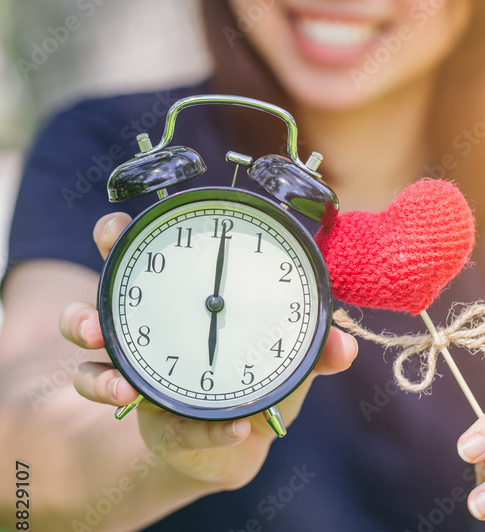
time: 6:00
